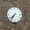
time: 7:36
